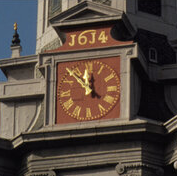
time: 11:52
